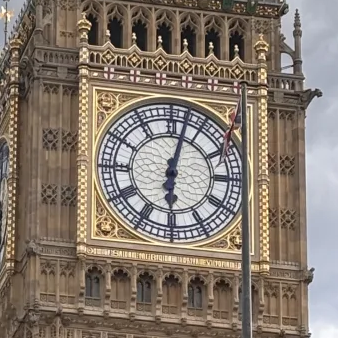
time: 6:02
